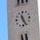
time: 11:25
